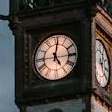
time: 5:01
